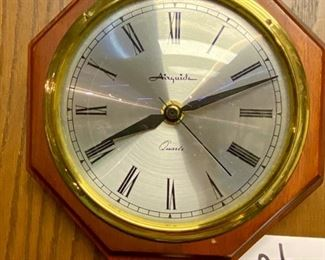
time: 8:11
